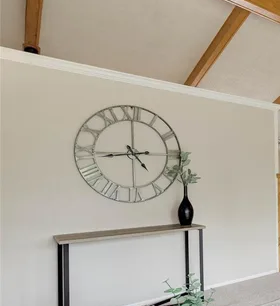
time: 4:44
